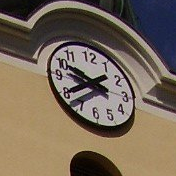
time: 9:38
